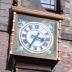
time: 3:34
